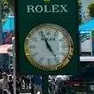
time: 4:56
